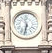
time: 11:32
